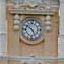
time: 4:50
